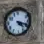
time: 4:18
